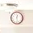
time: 12:27
